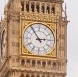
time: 2:54
